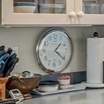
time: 1:21
